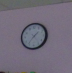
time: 1:36
